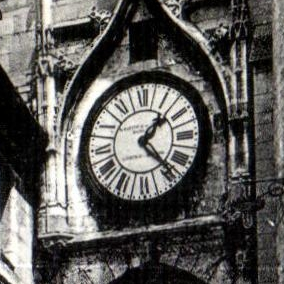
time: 1:23
